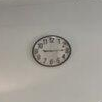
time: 9:14
